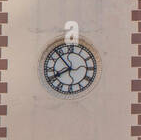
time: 7:53
